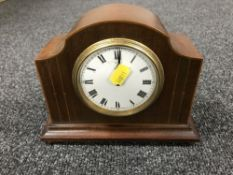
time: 1:00
